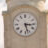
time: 3:27
